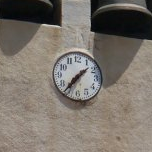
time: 1:36
